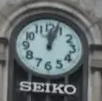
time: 12:03
